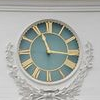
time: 11:15
